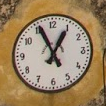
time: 12:55
